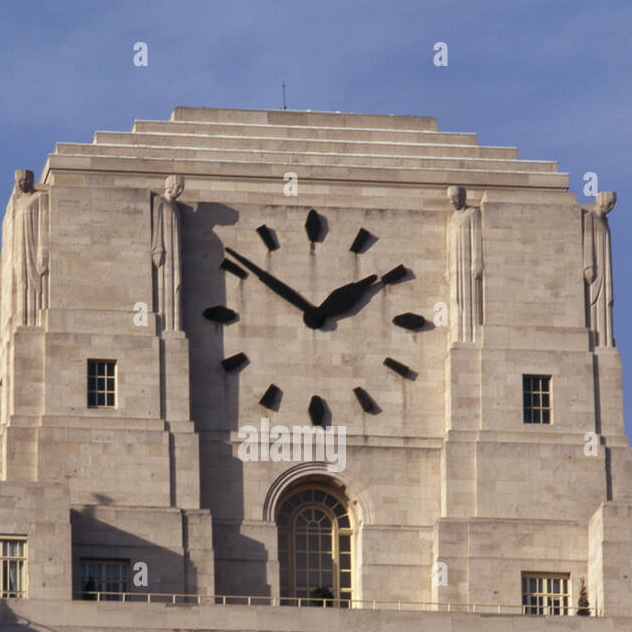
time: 1:51
